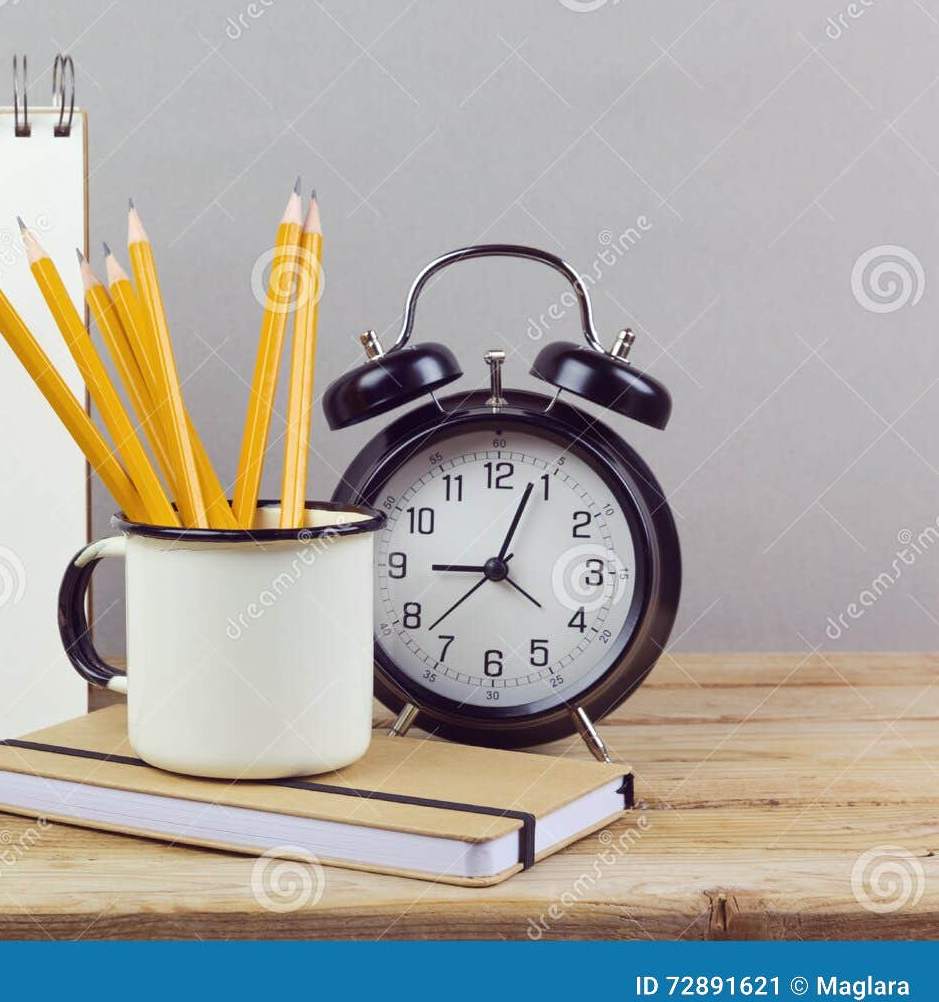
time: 9:03
